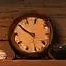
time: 9:50
